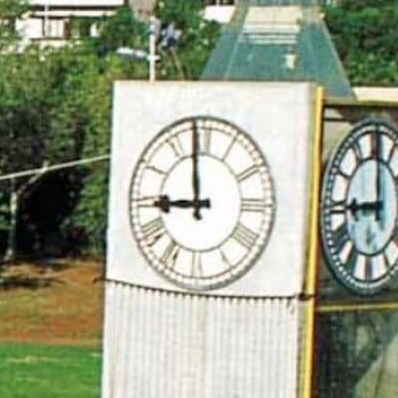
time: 8:58
